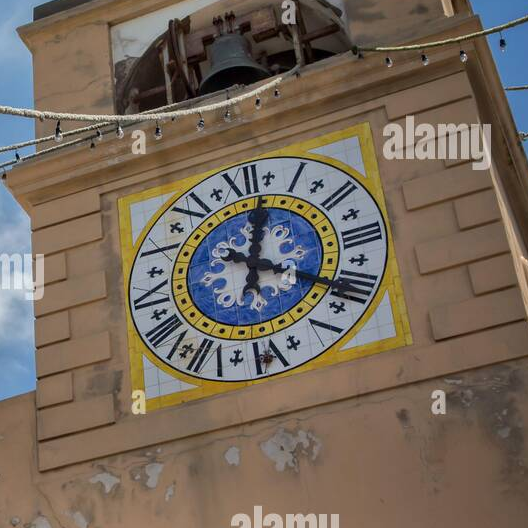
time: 12:19
